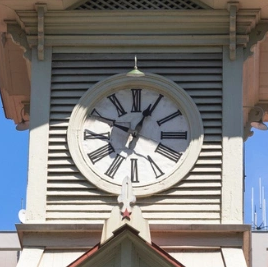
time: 12:49
